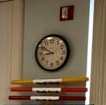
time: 8:50
